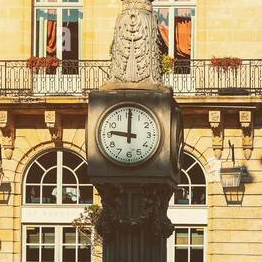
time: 9:00
